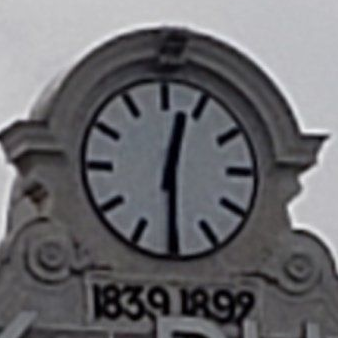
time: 12:30
